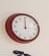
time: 12:00
